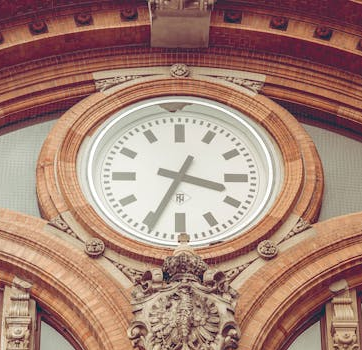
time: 3:34
